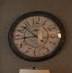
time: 8:52
